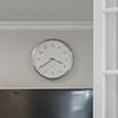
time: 3:39
